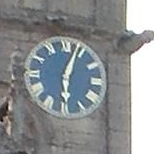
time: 6:03
